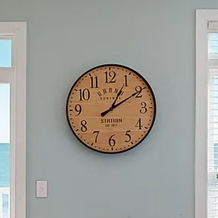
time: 1:09
